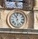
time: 11:28
